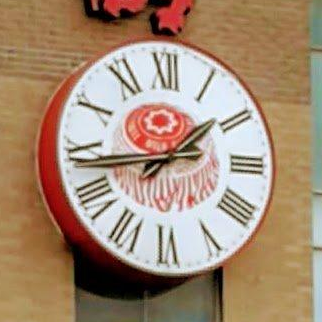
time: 1:43
